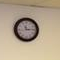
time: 11:14
